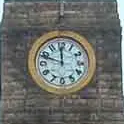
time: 11:48
